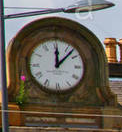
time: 12:07
